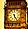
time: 6:25
